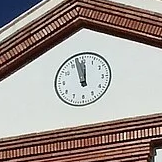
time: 11:57
